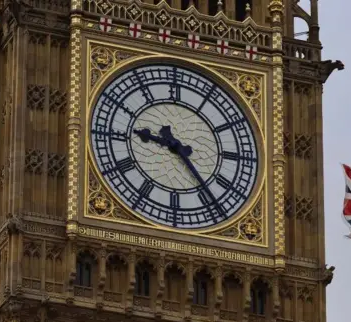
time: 9:23
